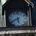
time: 5:40
